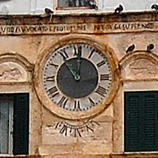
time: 11:01
